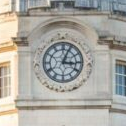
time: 3:04
